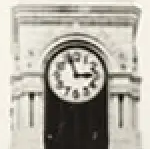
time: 2:57
